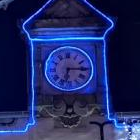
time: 6:14
